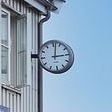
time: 3:02
